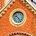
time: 10:24
